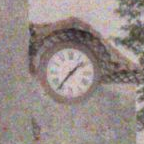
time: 1:36
